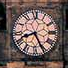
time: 8:25
